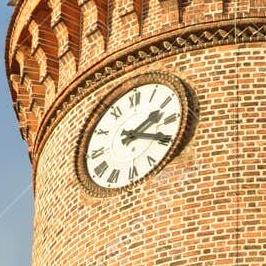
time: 2:19
